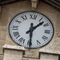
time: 1:29
